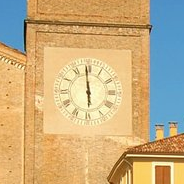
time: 5:59
